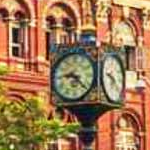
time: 9:22
